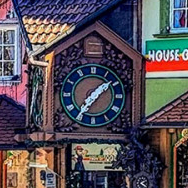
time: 1:36
